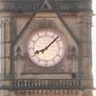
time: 8:07
